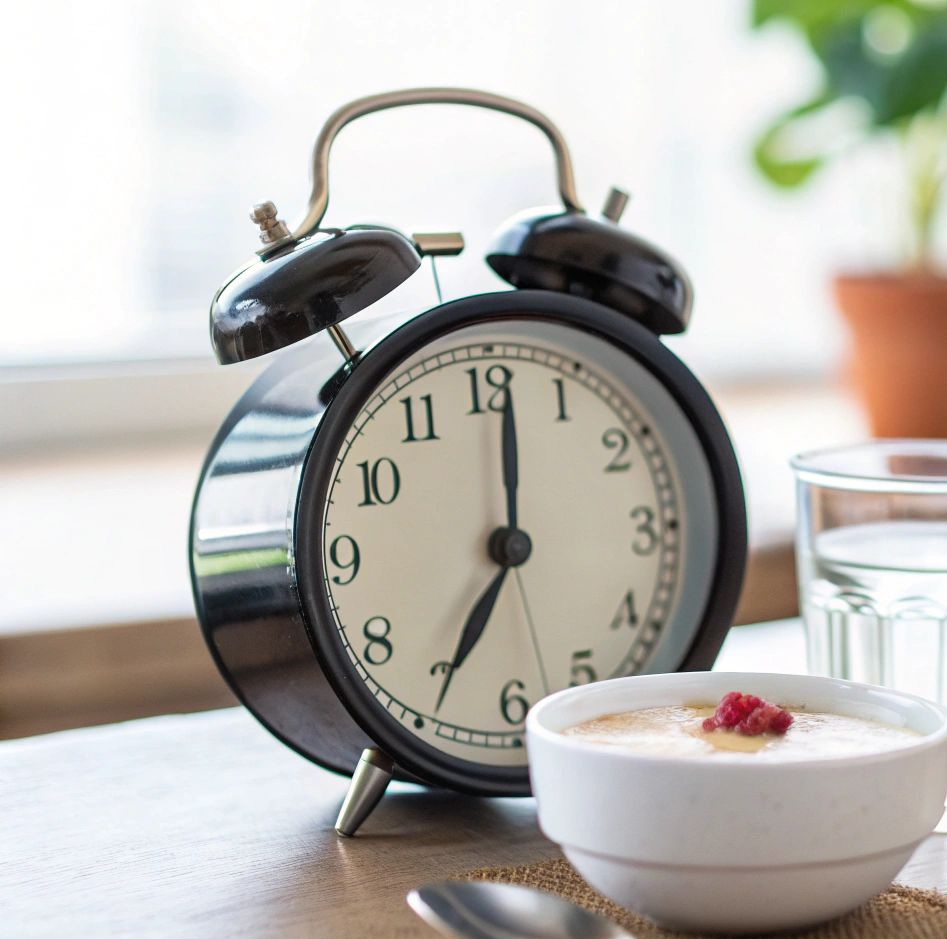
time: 7:01
